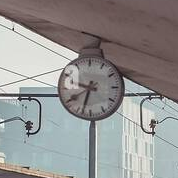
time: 6:40
